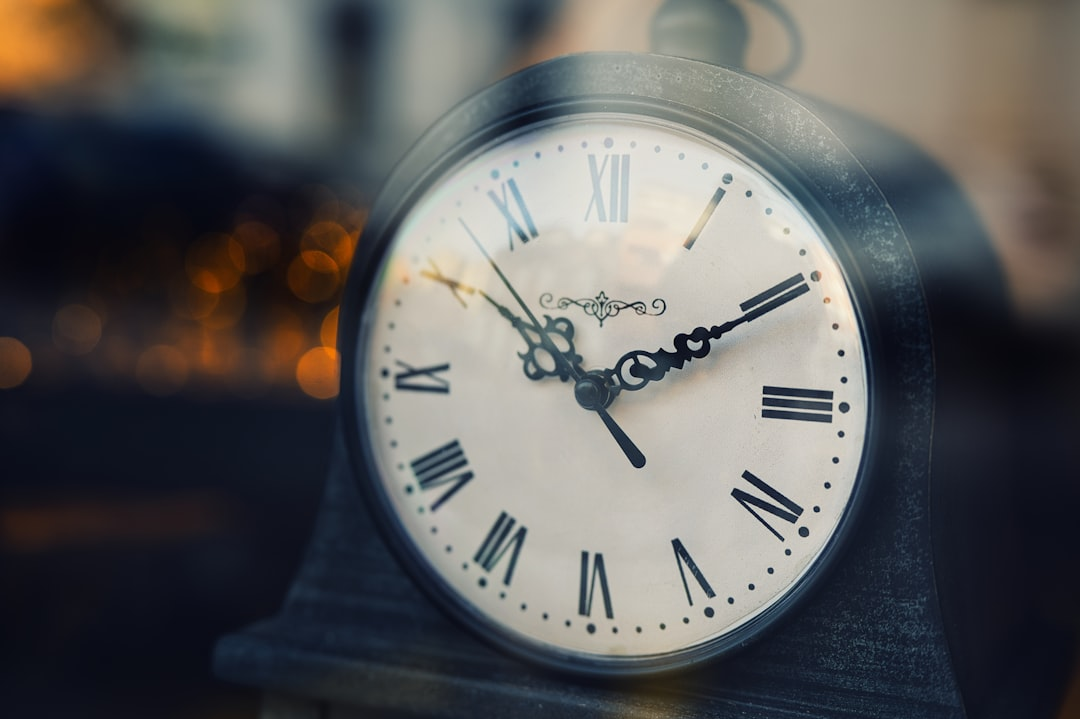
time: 10:10
